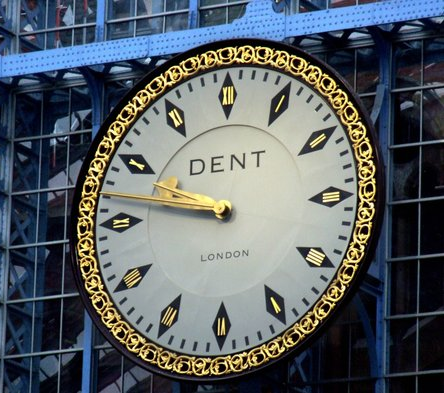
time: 9:47
